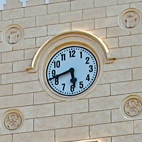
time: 5:42
